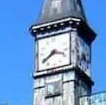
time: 3:39
